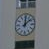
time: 12:08
